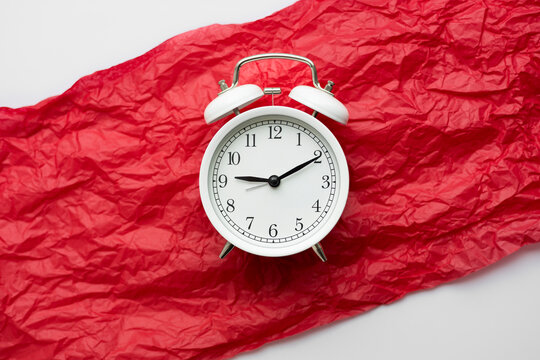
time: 9:10
